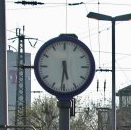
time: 5:31
